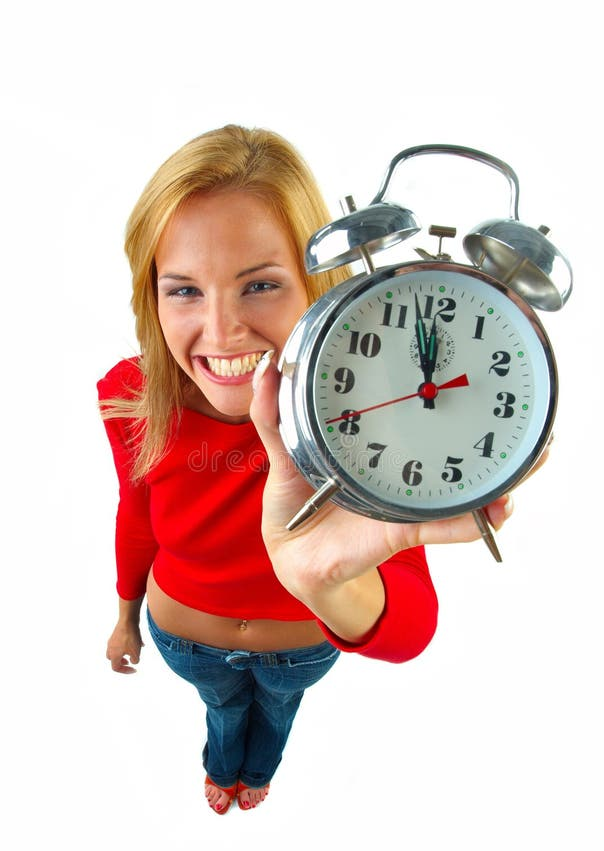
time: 11:57
